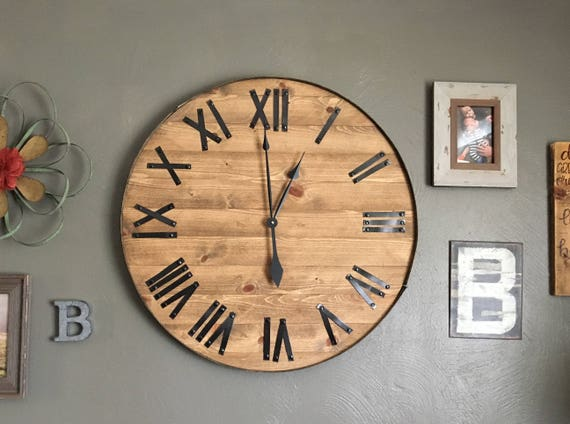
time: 12:59
